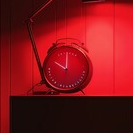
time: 10:00
